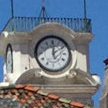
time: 12:09
